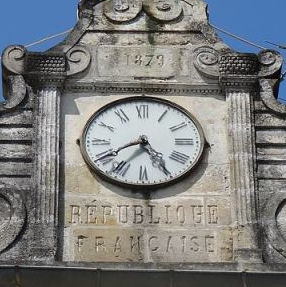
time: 4:40
